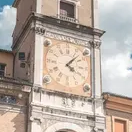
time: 4:07
